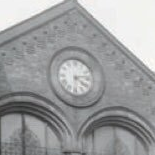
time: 4:12
